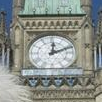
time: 12:11
